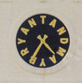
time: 4:35
